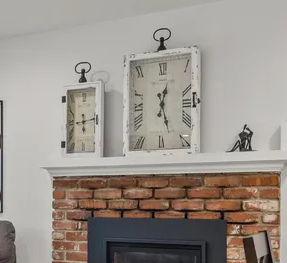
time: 12:26
